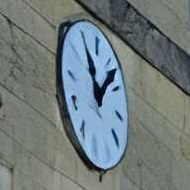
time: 11:07
